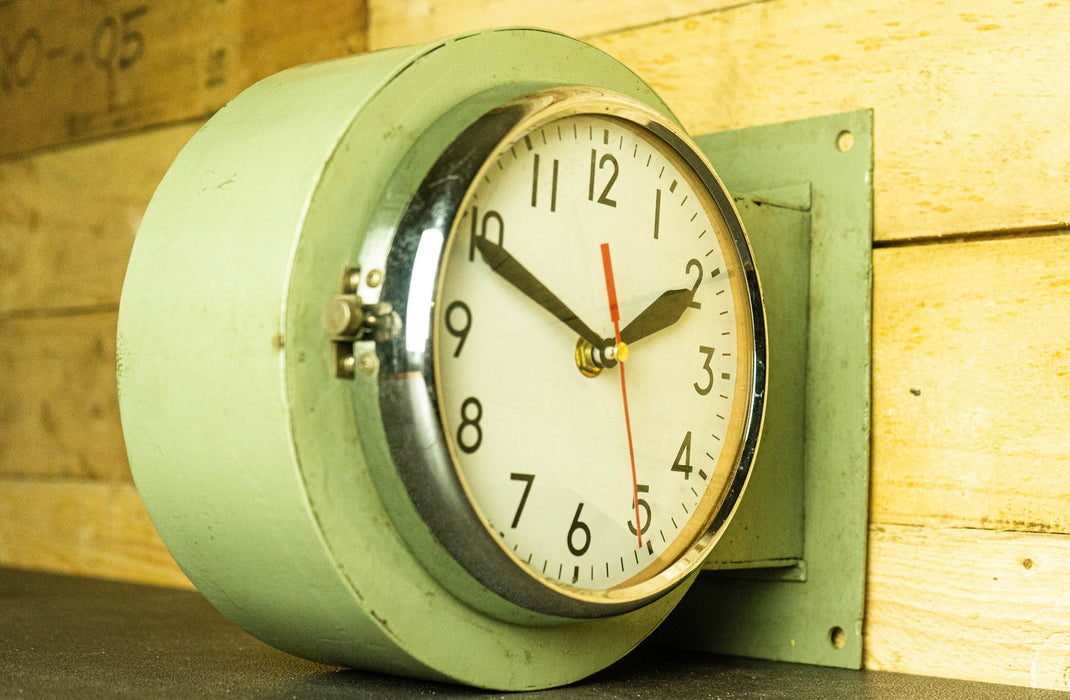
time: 1:49
